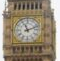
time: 11:11
